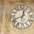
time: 12:41
